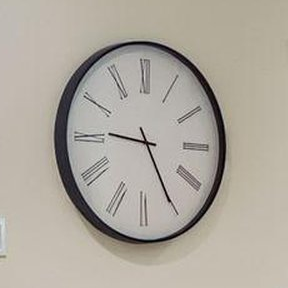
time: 9:25
